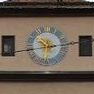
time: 10:14
